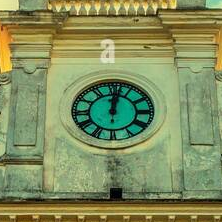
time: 12:01
